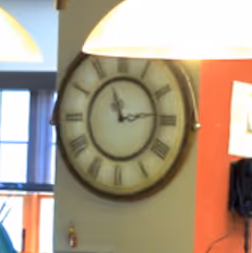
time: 11:13
